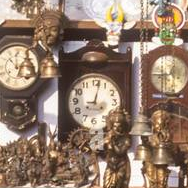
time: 9:02
